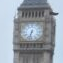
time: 6:32
